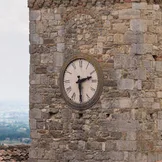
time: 2:29
